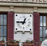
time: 12:46
